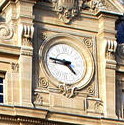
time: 4:46
